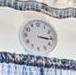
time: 3:15
